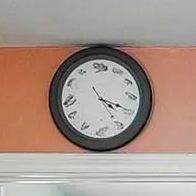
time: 4:19
